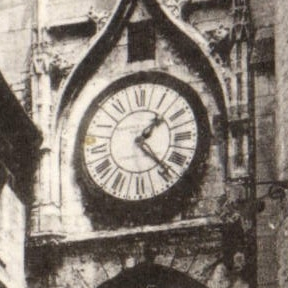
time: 1:23
